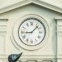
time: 9:07
